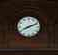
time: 8:11
